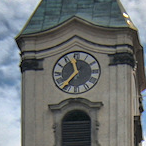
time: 11:36
